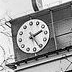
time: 2:26
